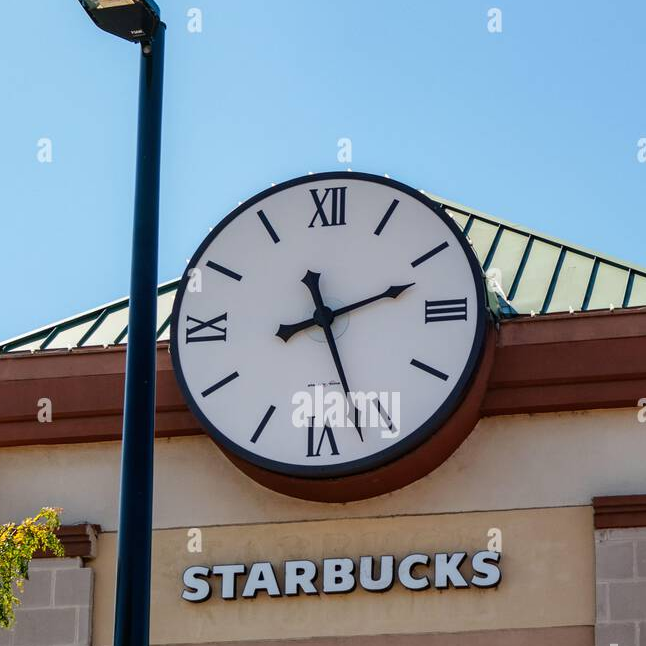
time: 2:26
